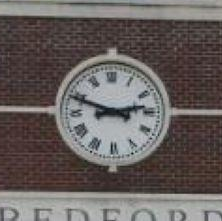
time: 2:48
